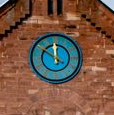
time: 11:50
